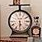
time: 5:30
